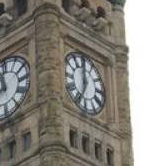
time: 6:59
